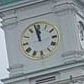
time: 11:58
